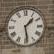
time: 1:28
